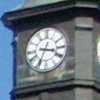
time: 3:34
